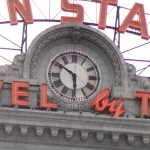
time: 5:50
